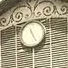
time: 11:25
